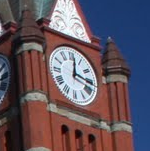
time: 12:16
